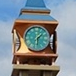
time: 1:28
